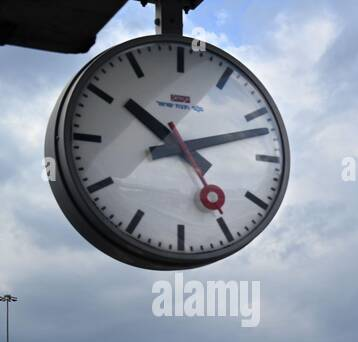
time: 10:12
